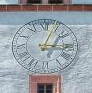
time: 3:03
